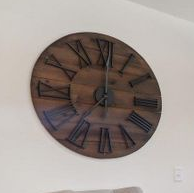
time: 7:00
